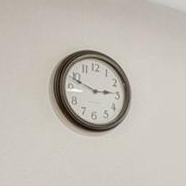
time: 2:48
